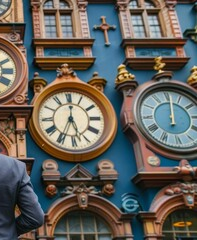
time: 7:01
